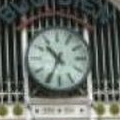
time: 10:34
